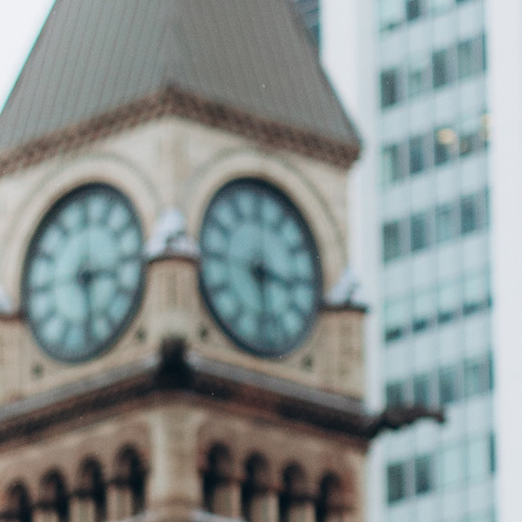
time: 3:28
